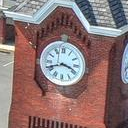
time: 3:41
